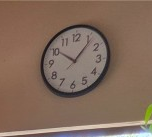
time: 10:06
